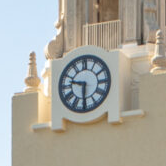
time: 9:30
